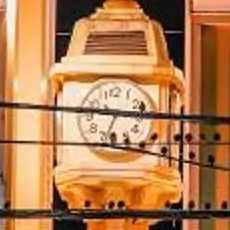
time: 9:14
